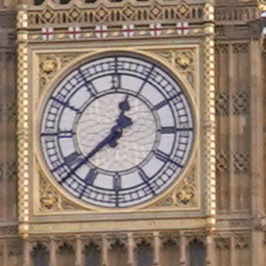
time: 12:38
